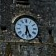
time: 6:26
